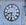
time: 8:31
